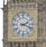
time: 2:18
